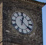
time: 12:21
